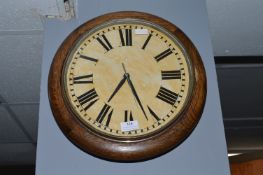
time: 7:26
